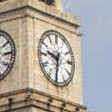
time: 9:31
